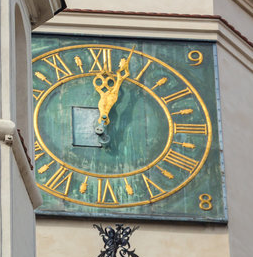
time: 12:03
